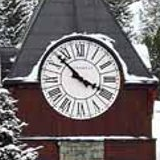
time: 3:52
